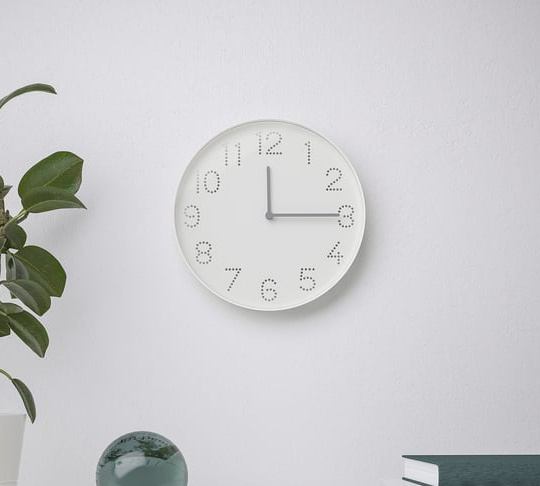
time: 12:14
